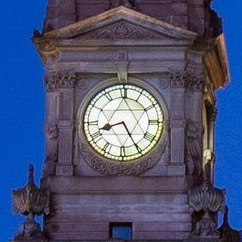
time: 8:24
